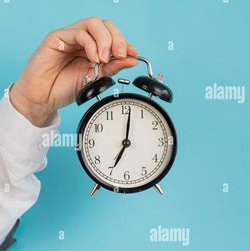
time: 7:01
